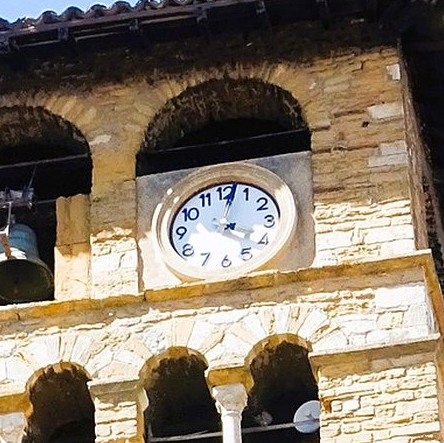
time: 4:02
